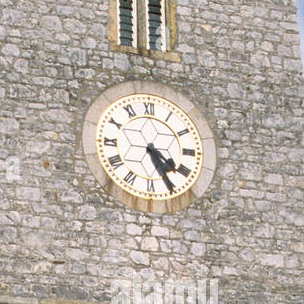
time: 4:25
